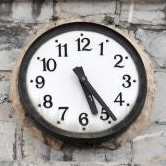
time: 5:24
